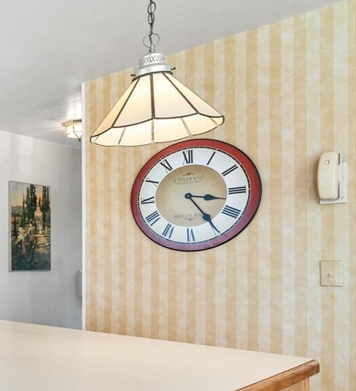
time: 3:24
